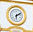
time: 6:10
